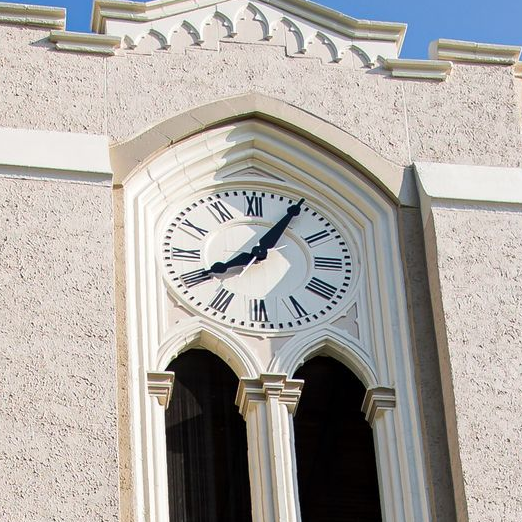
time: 8:05
